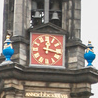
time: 12:17
